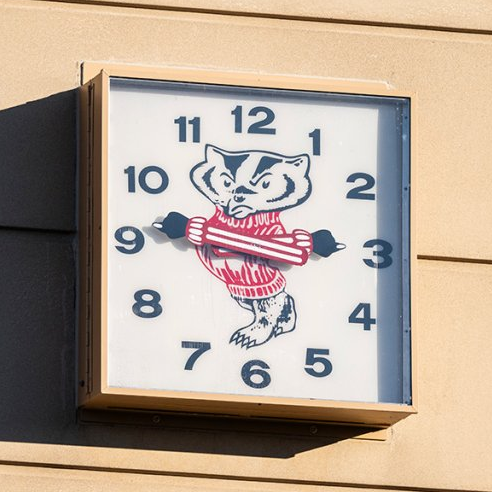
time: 2:46
